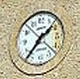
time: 1:36
